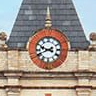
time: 9:41
